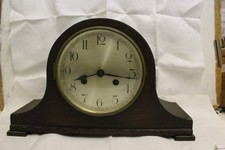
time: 8:16
